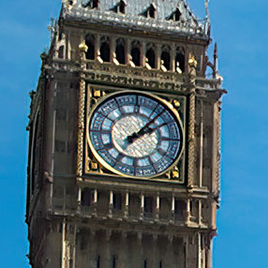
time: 2:06
